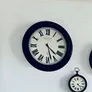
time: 4:27
